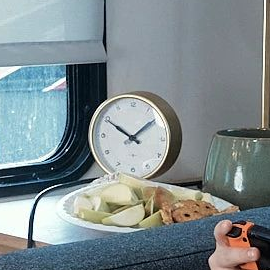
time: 10:08
